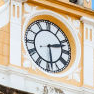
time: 2:28
